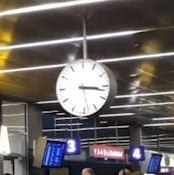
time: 3:16
